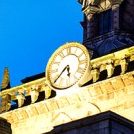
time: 5:37
